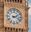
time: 2:18
